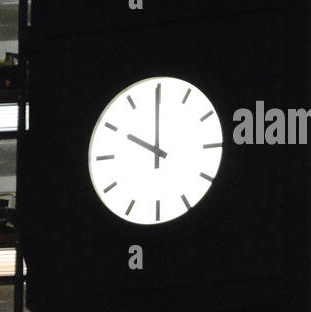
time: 9:59
